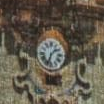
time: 1:33
